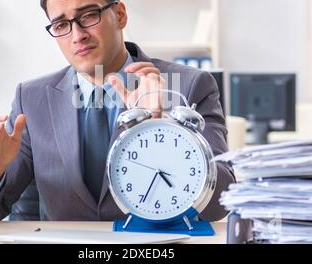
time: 4:34
